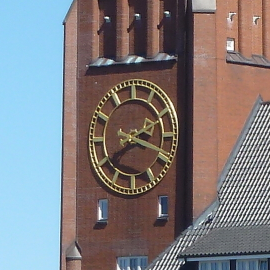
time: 3:40
